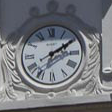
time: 2:09
